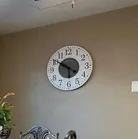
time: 5:50
